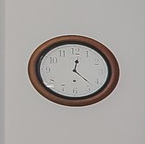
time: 12:22
